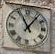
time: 11:06
